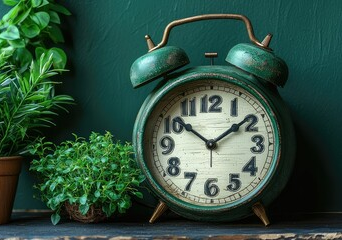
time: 1:51
